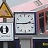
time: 2:45
